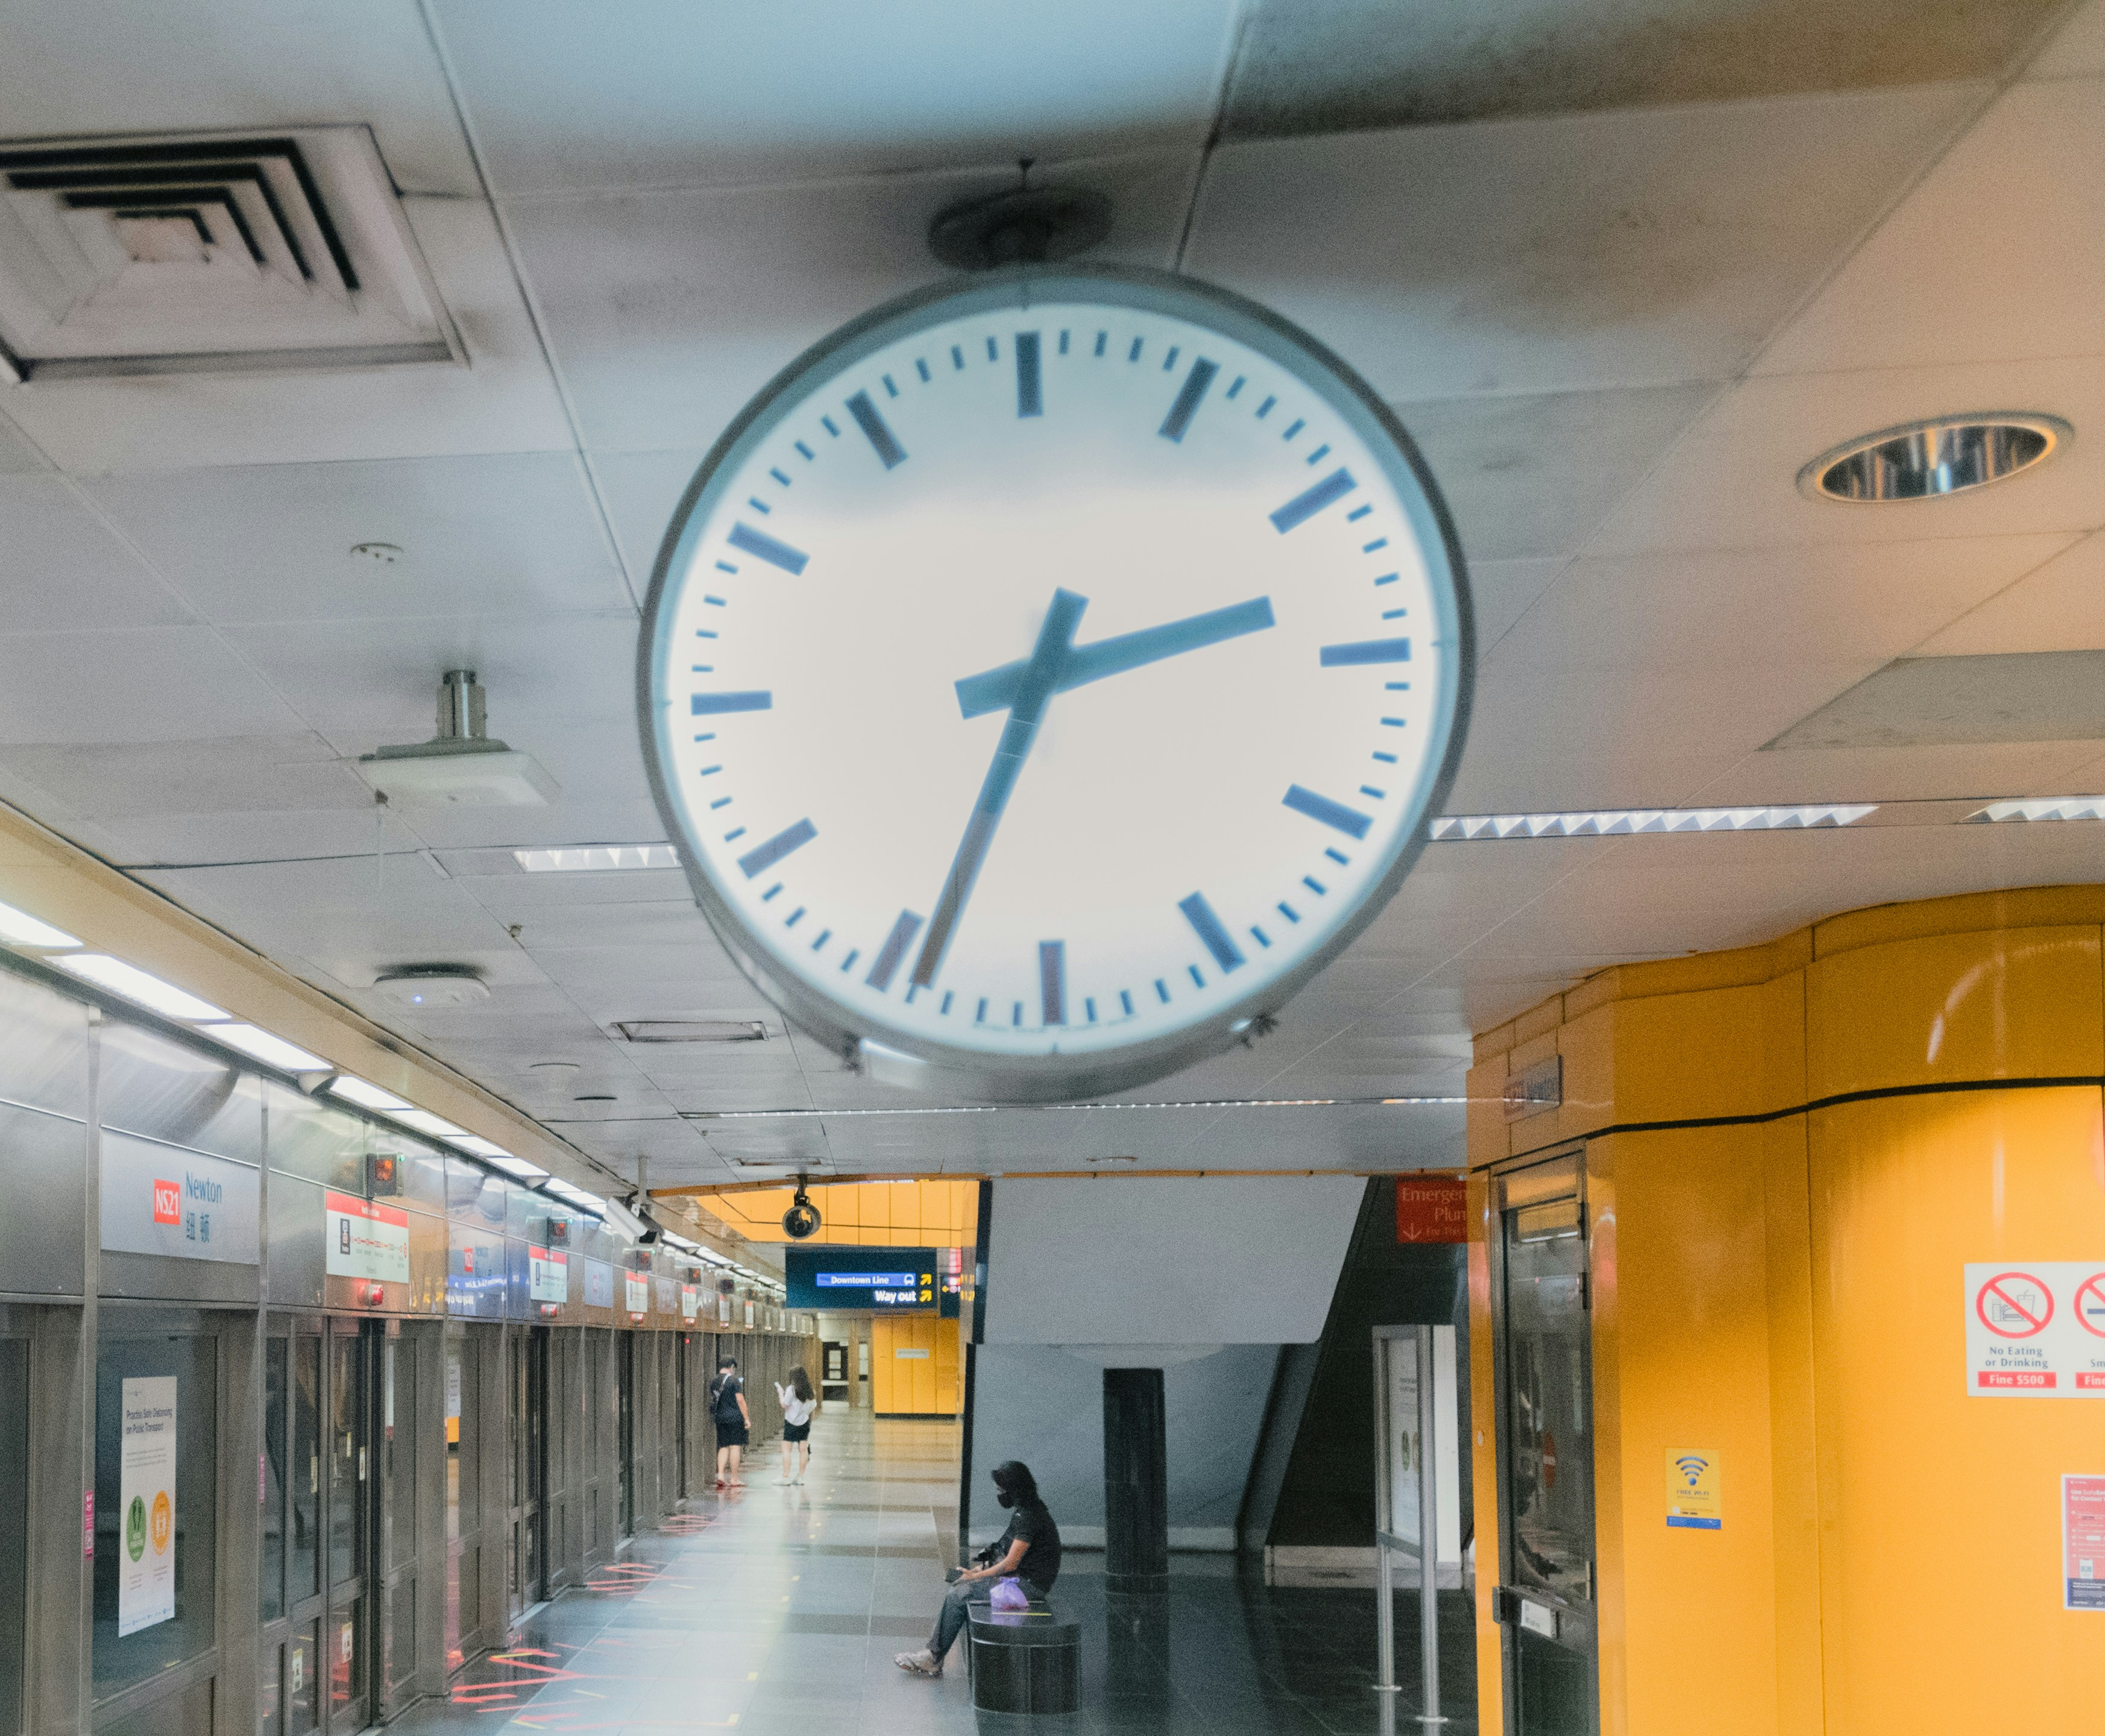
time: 2:33
